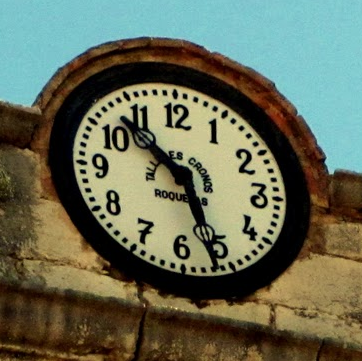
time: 10:26
